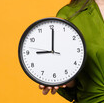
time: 9:00
